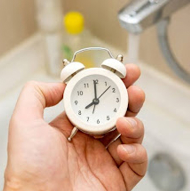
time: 8:00
